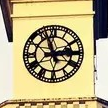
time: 2:56
